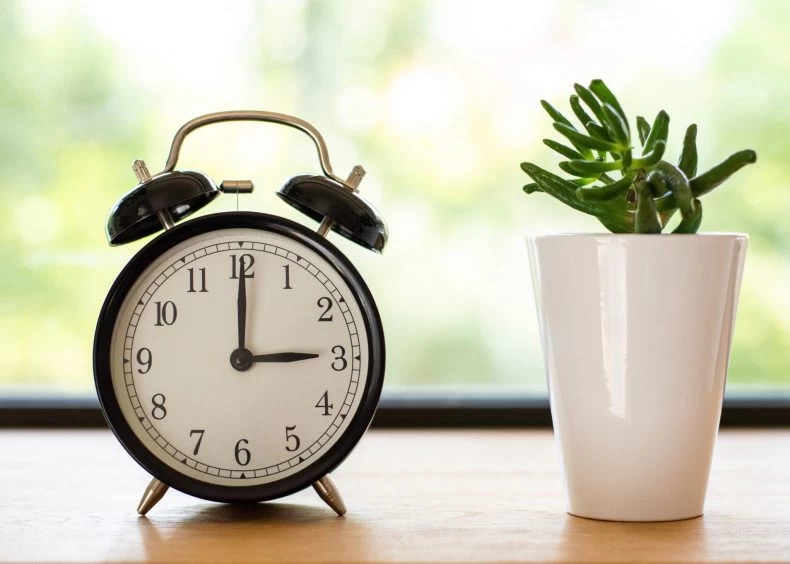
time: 3:00
